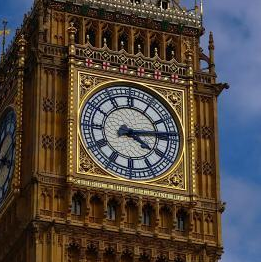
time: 4:13
